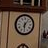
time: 6:06
